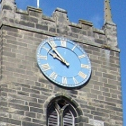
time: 9:53
